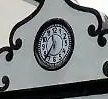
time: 11:36
